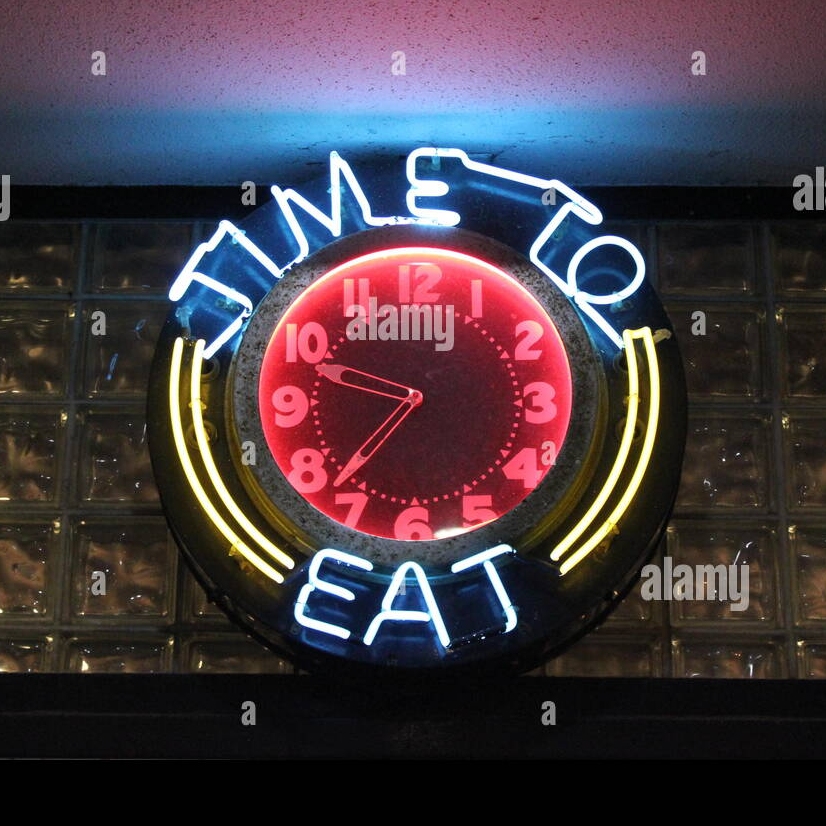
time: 9:36
